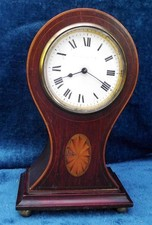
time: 8:19
